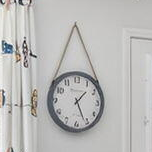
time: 1:26
